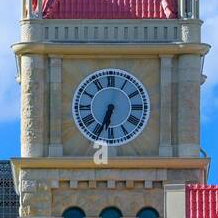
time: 6:34
